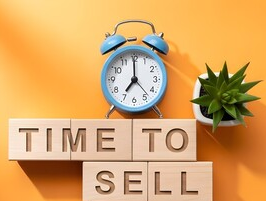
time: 7:00
